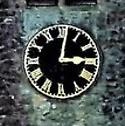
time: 3:01
